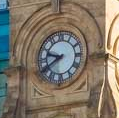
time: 9:39
